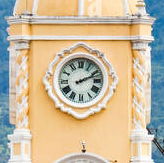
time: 2:11
